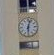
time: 6:03
